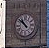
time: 10:52
